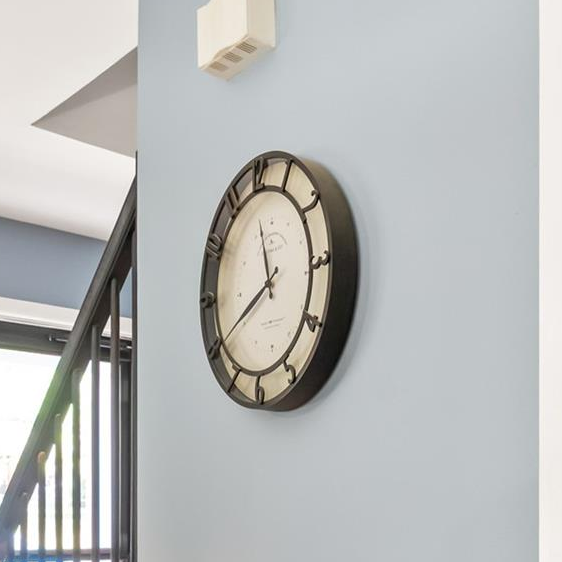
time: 11:40
